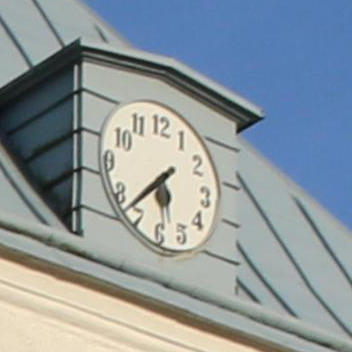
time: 5:37
